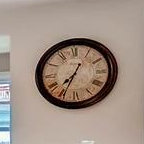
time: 7:34
